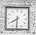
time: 7:30
